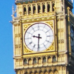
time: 9:31
